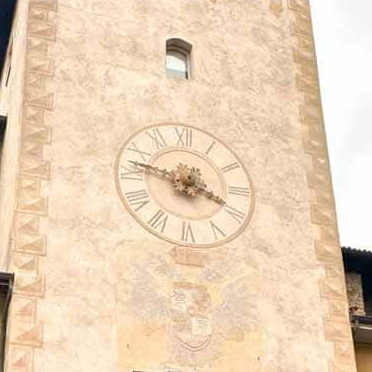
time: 3:47
